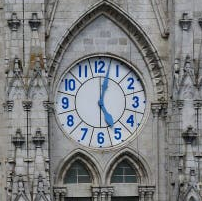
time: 5:02
